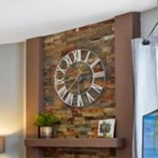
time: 2:36
